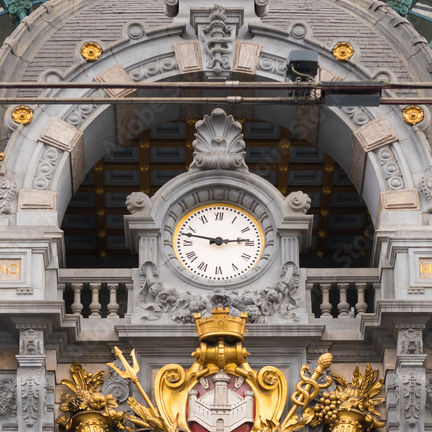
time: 2:46
